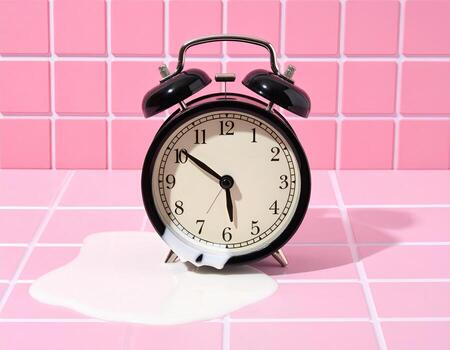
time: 5:50
